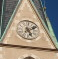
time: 5:11
